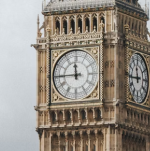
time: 11:44
